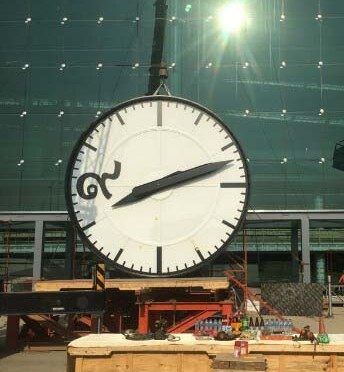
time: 8:12
